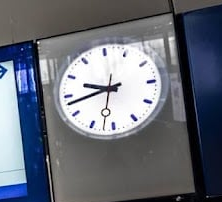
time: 9:43
